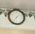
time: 7:07
